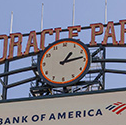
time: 1:13
